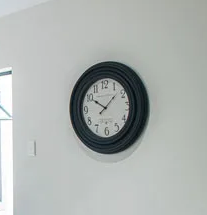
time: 10:07
